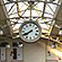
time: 7:40
